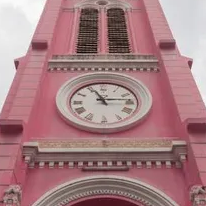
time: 11:13
